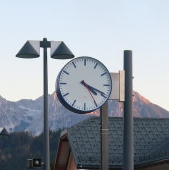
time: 4:19
